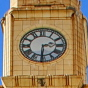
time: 2:30
